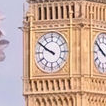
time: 9:50
